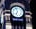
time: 6:57
